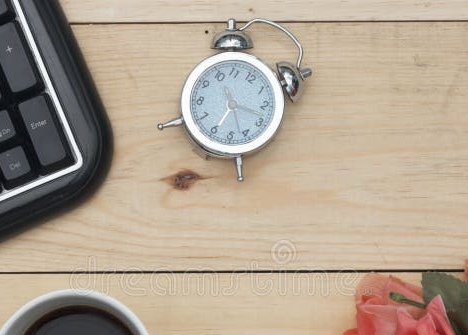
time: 11:17
